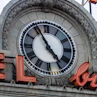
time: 4:55
